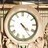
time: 4:23
